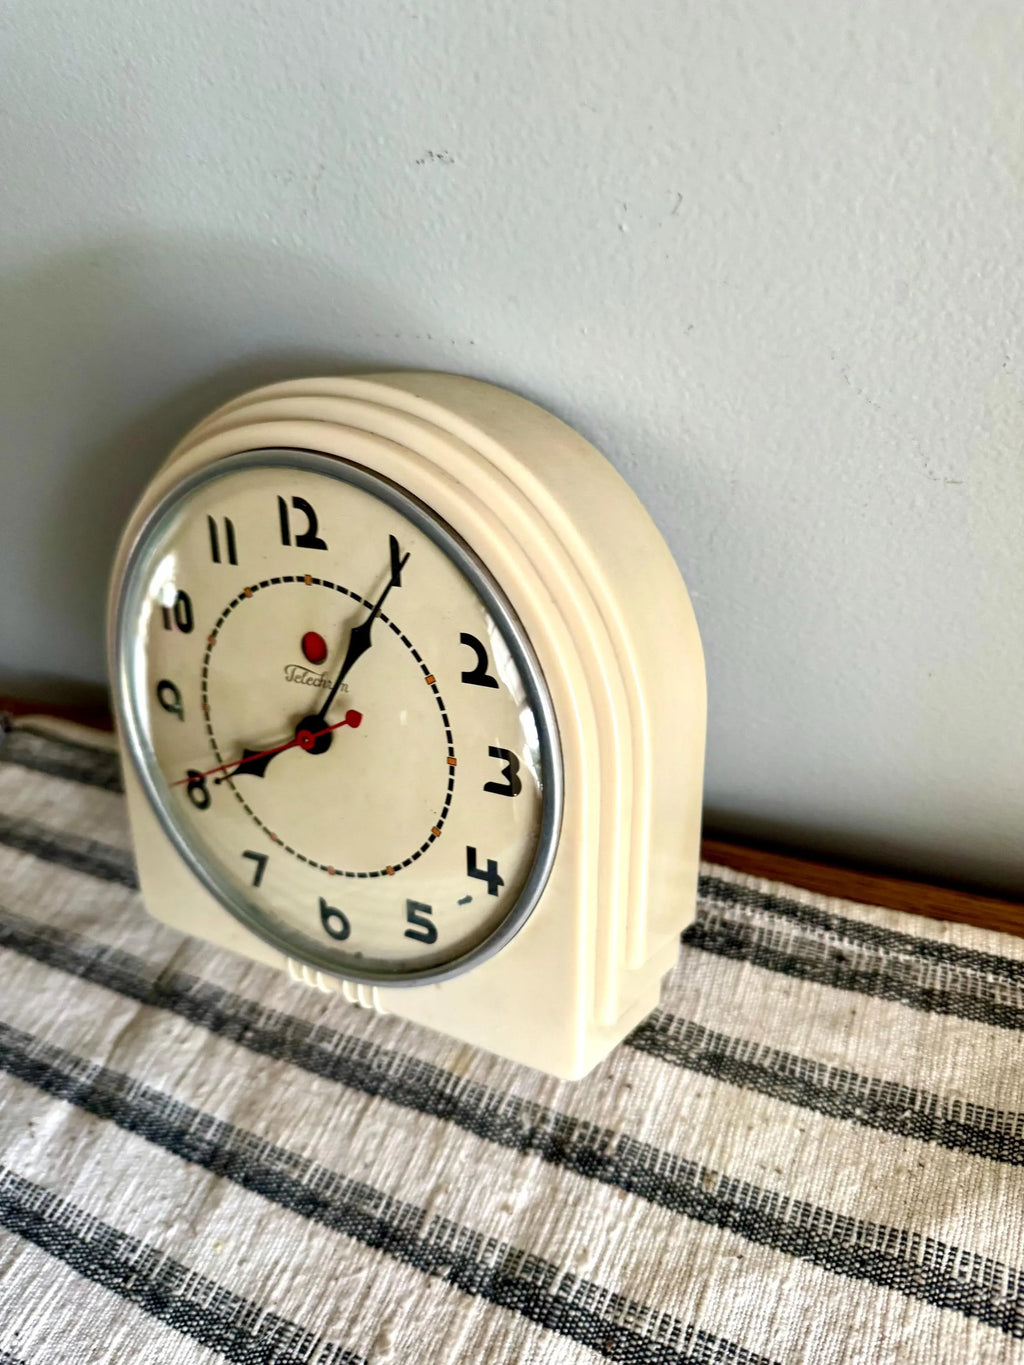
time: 8:05
